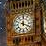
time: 12:19
